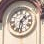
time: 1:32
